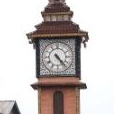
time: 4:23
